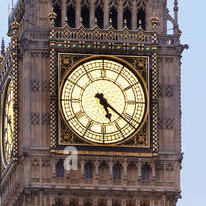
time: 5:21
